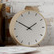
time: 1:50
